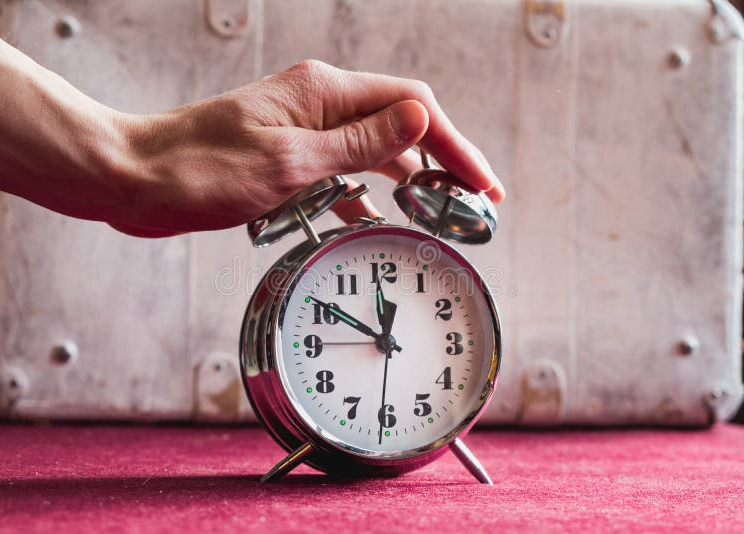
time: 11:50
